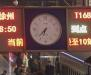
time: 6:37
